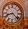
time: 8:22
